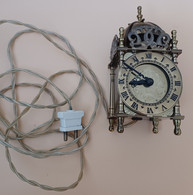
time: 8:50
